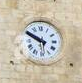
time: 5:49
